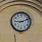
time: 9:11
